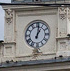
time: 1:01
